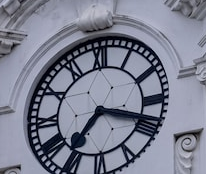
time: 7:18
